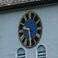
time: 9:28
